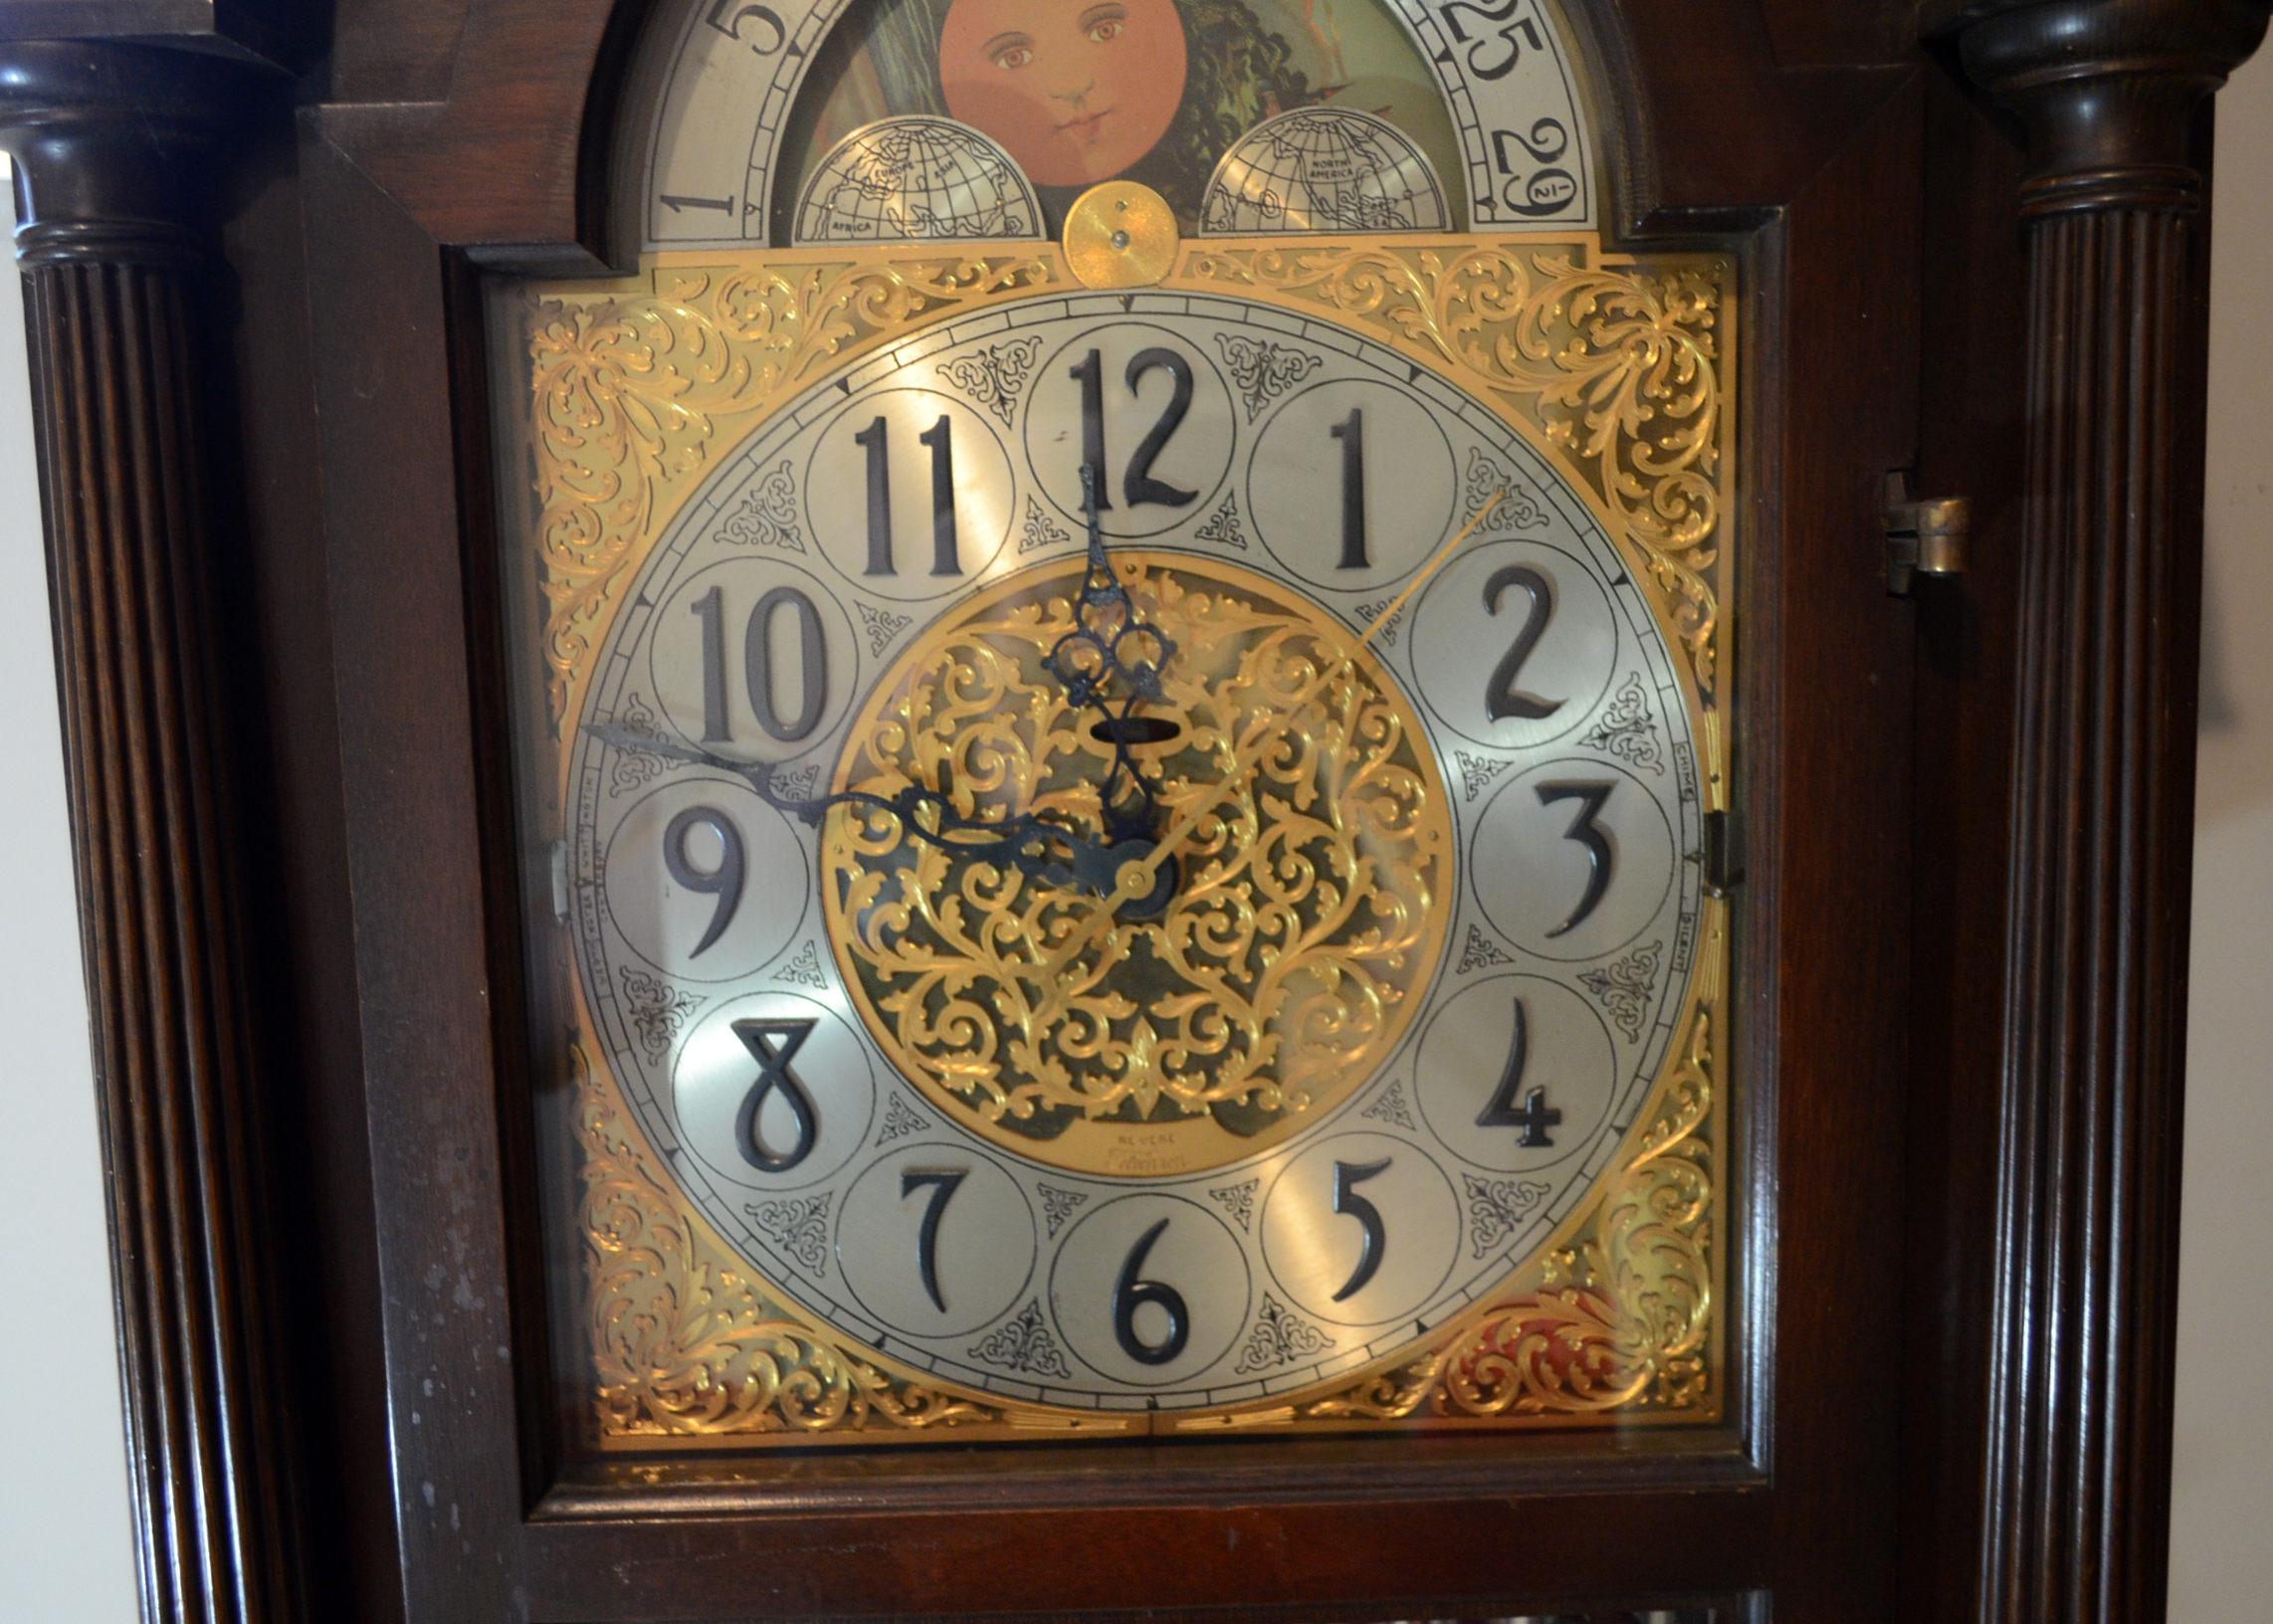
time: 11:47
